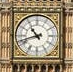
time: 10:42
